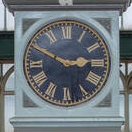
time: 2:49
